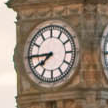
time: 7:44
